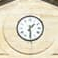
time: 1:29
